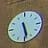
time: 5:28
